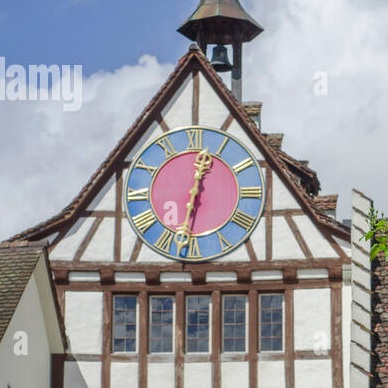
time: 12:32
